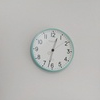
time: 12:32
